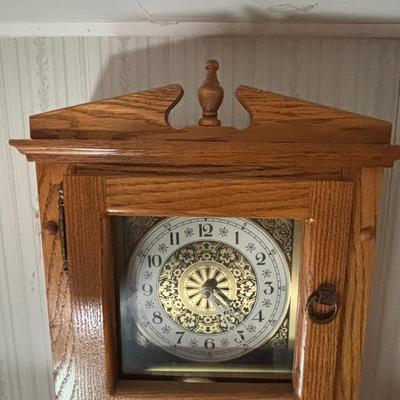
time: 12:21
